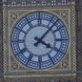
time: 4:07
